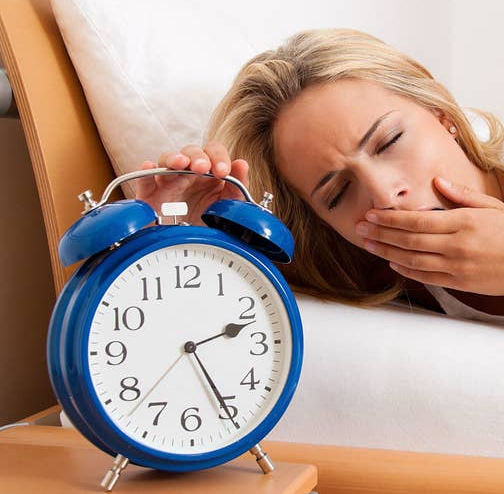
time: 2:25
